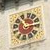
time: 11:13
